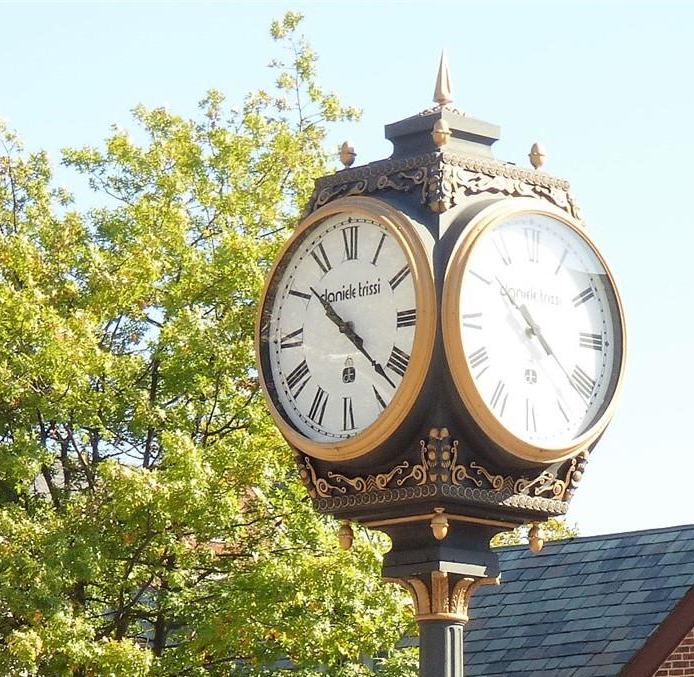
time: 10:22
